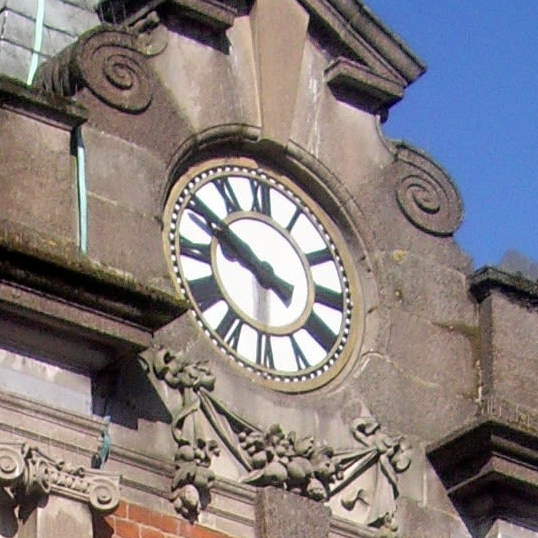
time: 9:50
